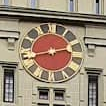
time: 2:42
